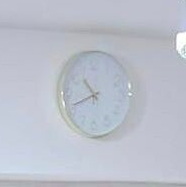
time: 10:41
